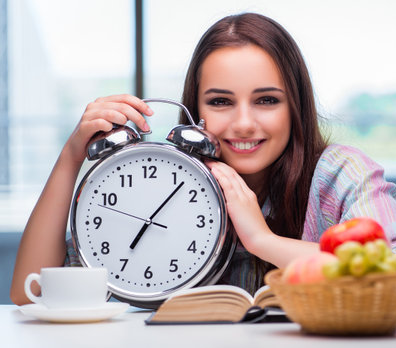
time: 7:07
